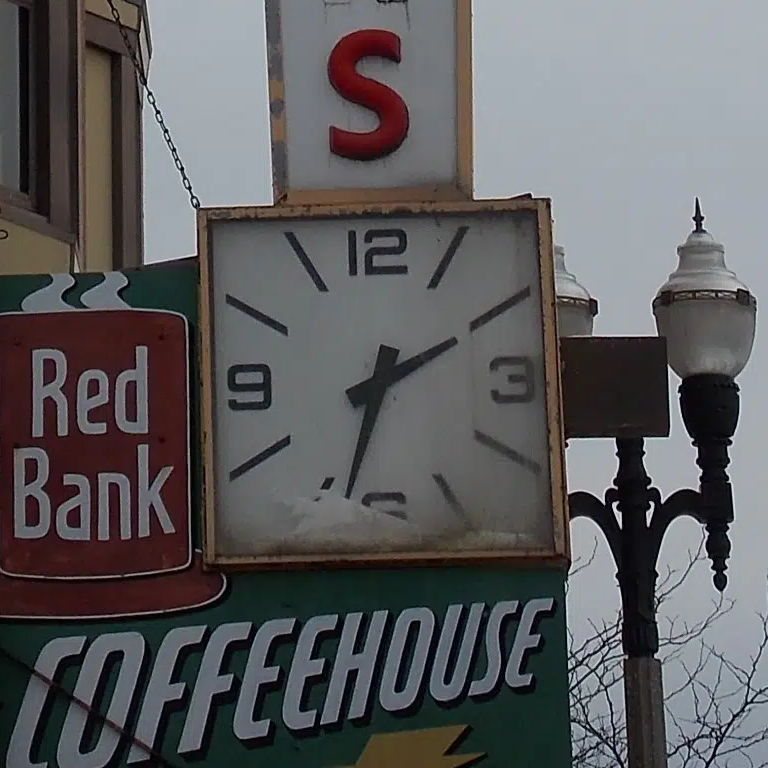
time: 2:33
